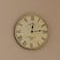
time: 12:13
